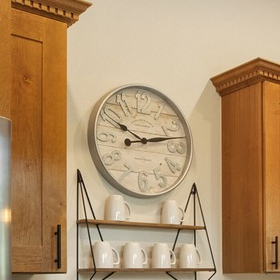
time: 10:12
